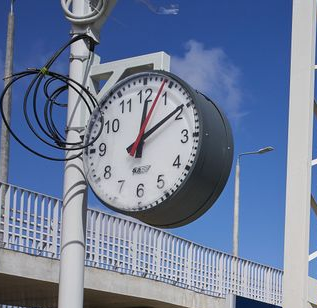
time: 12:09
